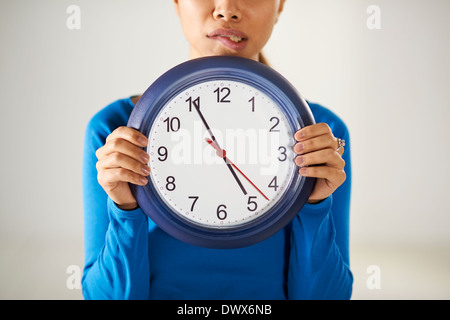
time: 4:55
